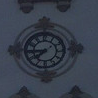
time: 7:43
